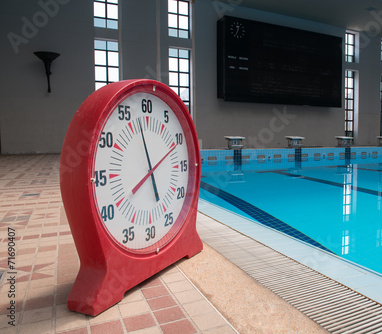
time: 7:57
